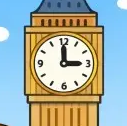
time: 2:59
